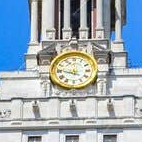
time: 11:46
